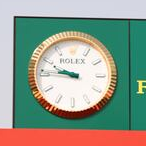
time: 9:45
